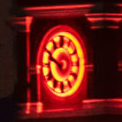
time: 9:48
